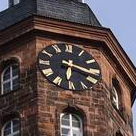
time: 6:17
